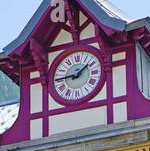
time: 1:44
